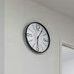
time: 6:05
